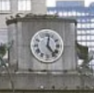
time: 12:23
